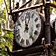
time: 12:24
